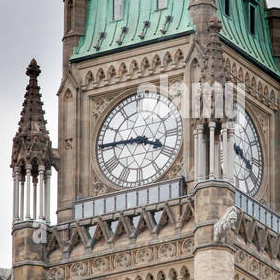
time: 3:45
